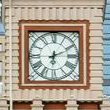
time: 6:10
